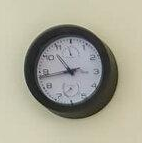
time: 10:43
